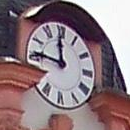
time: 11:46
